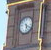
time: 5:18
